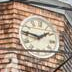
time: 1:46
